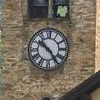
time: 10:24
